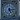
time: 5:15
